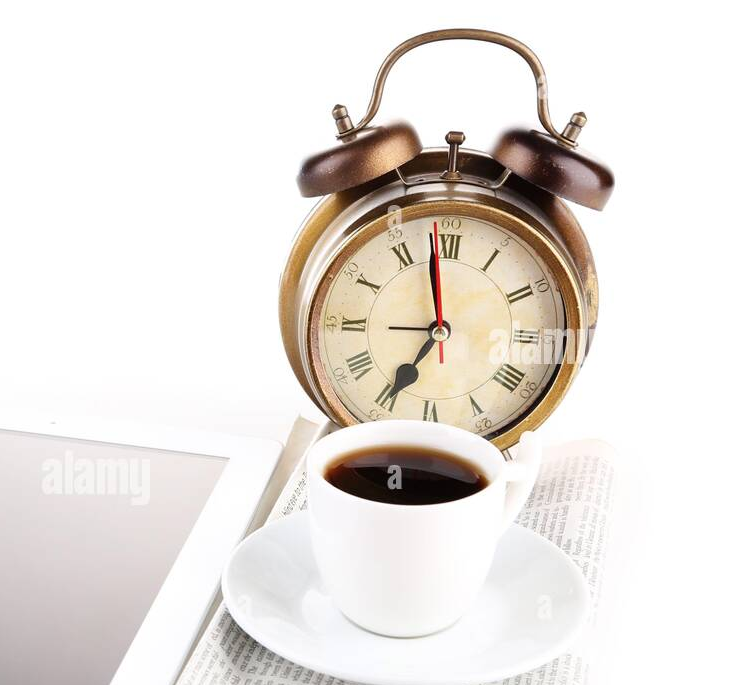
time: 6:58
